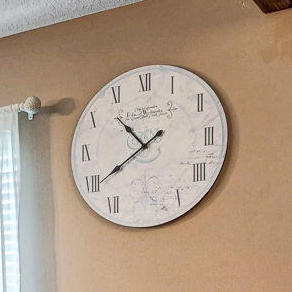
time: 10:39
